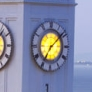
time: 7:08
